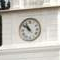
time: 10:51
